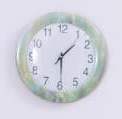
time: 1:29
